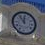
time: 11:53
